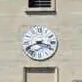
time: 3:40
